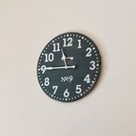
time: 11:45
